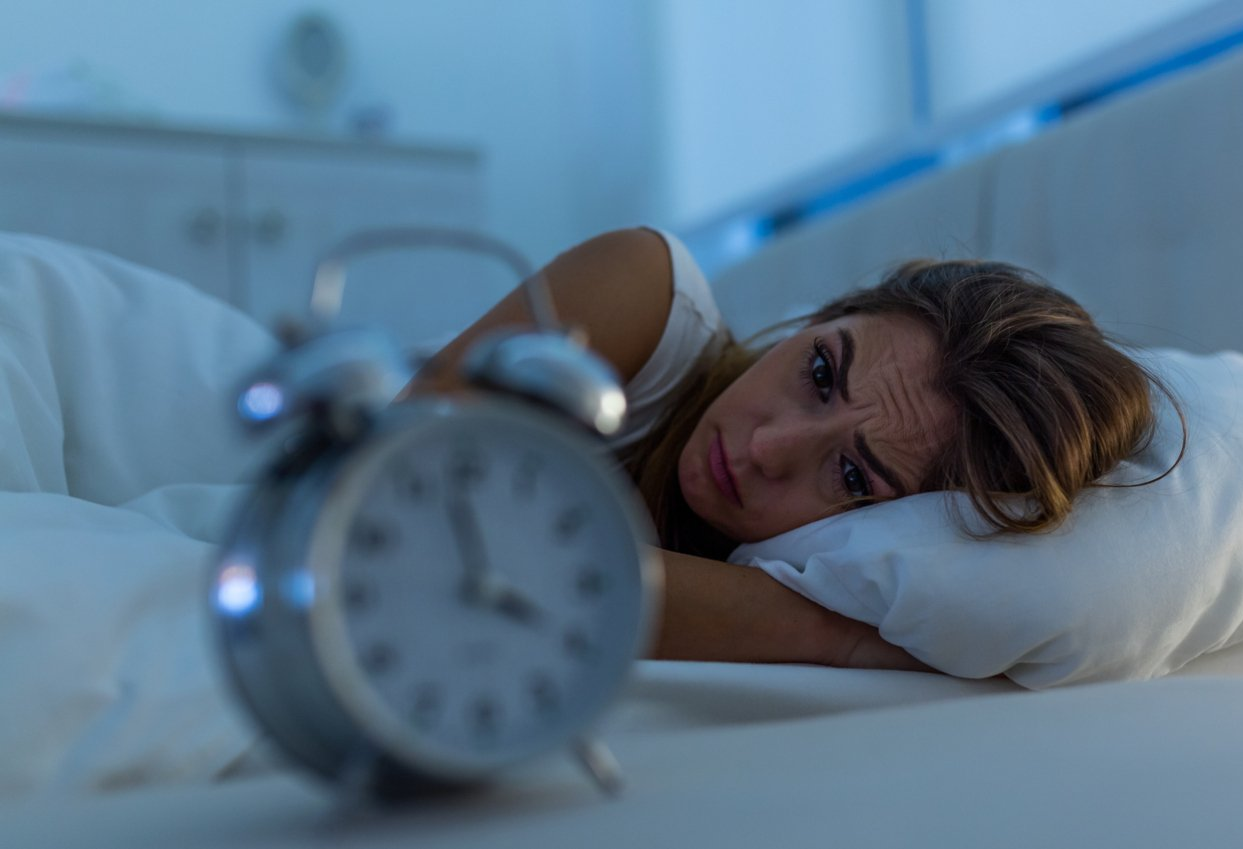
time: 3:58
